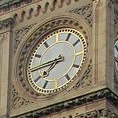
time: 7:44
